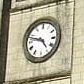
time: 4:47
